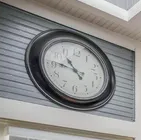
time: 10:46
